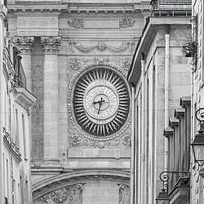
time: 8:32
